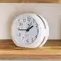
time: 1:44
